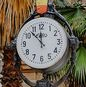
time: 11:52
